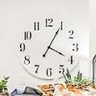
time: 4:04
